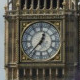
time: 12:37
